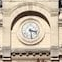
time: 3:28
